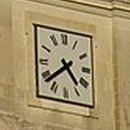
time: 4:38
